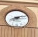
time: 8:12
